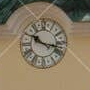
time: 10:17
